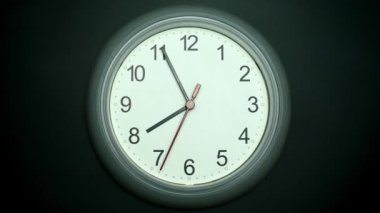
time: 7:55
